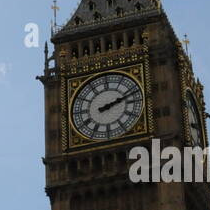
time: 2:12
